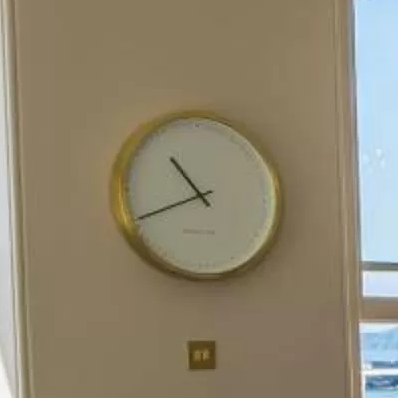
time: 10:41
